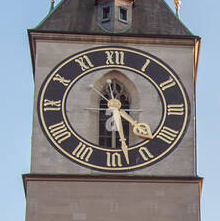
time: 4:28
